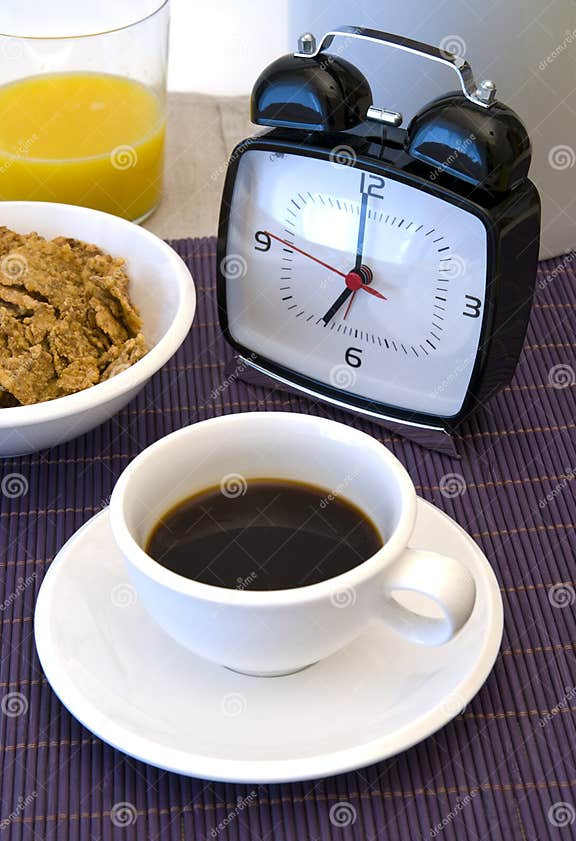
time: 6:58
